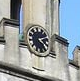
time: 2:23
